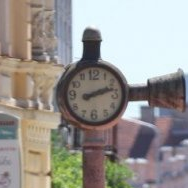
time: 2:12
